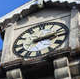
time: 3:12
